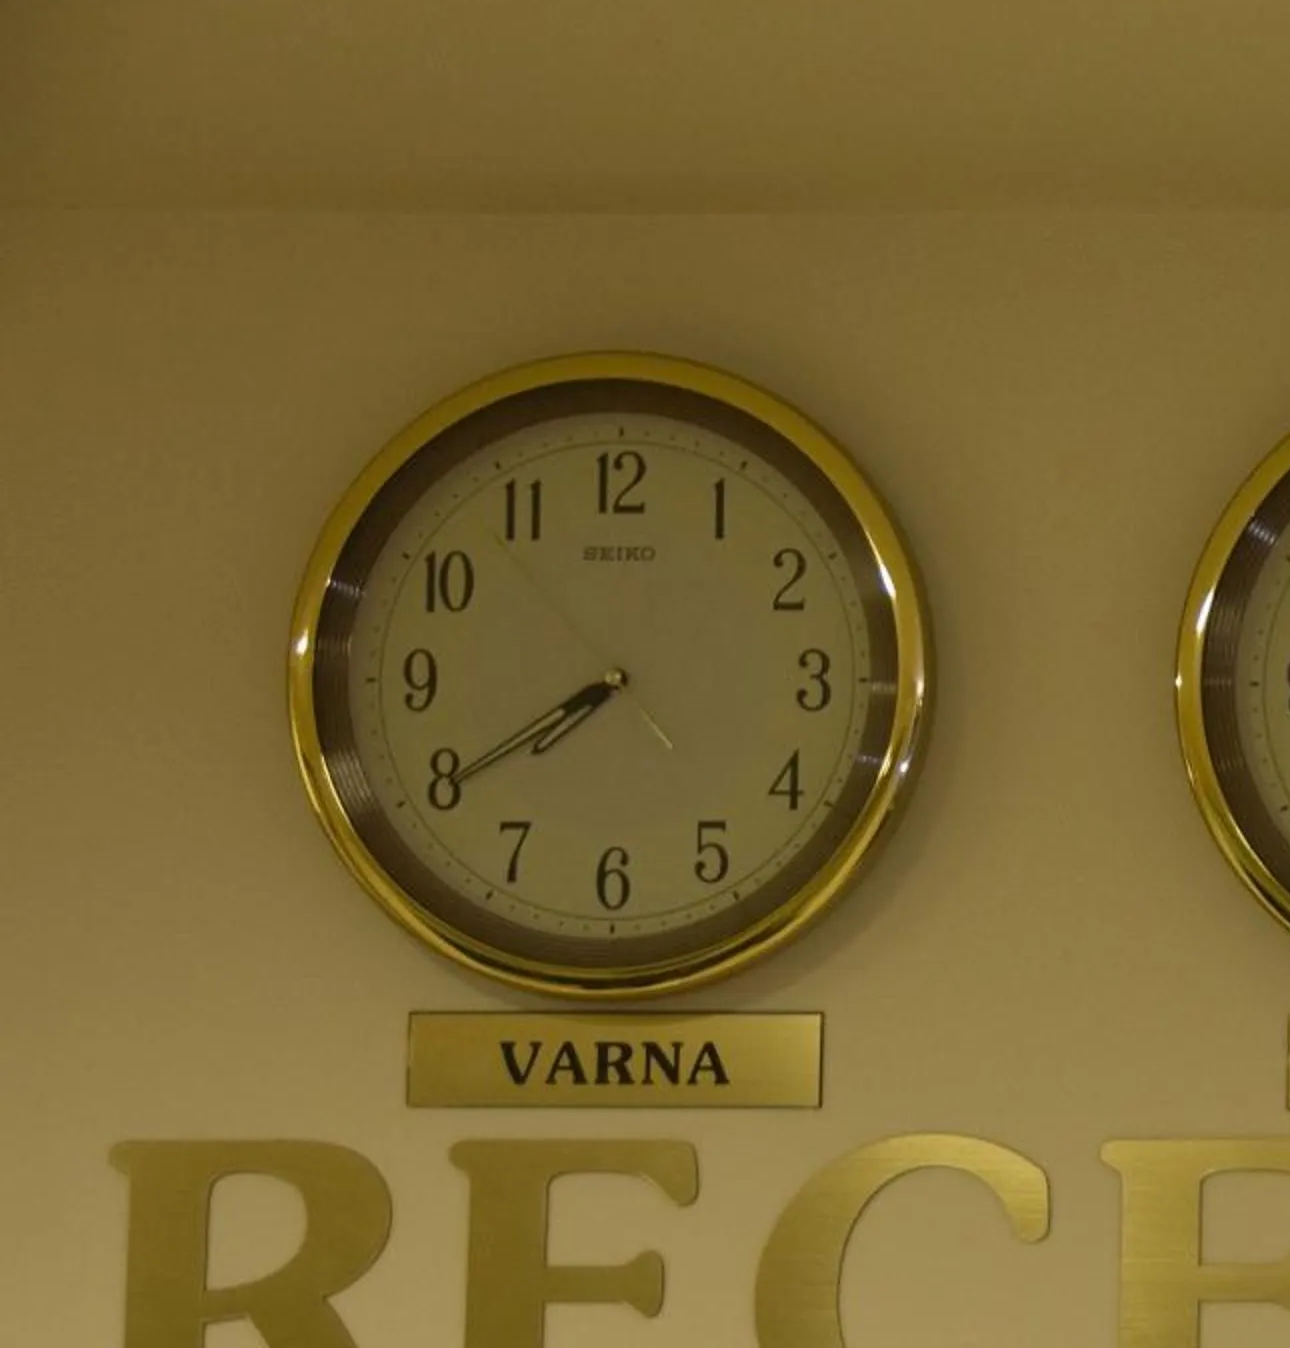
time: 7:39
